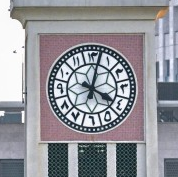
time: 4:02
